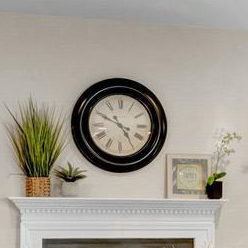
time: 4:49
